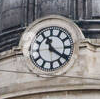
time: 11:21
